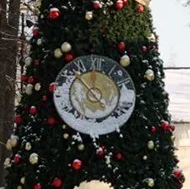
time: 4:52
